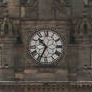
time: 10:34
